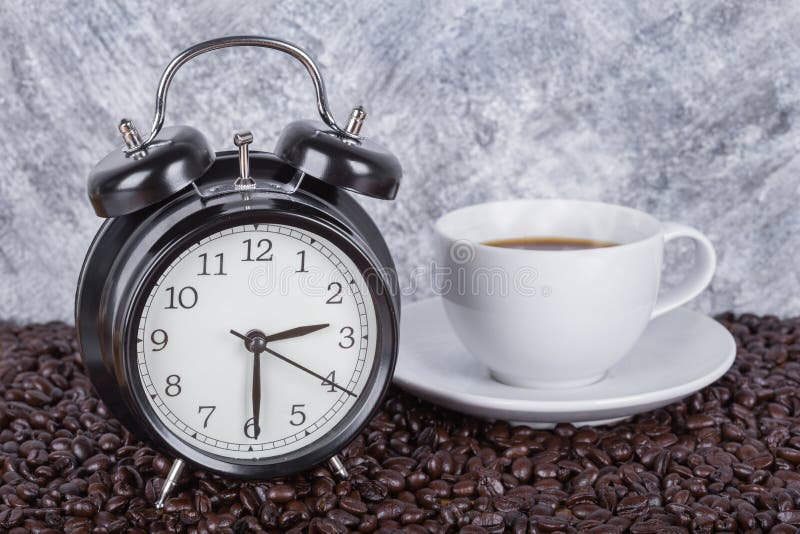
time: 2:29
